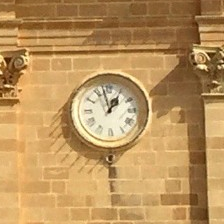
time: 12:57
